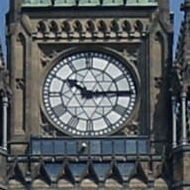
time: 10:14
